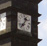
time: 12:36
